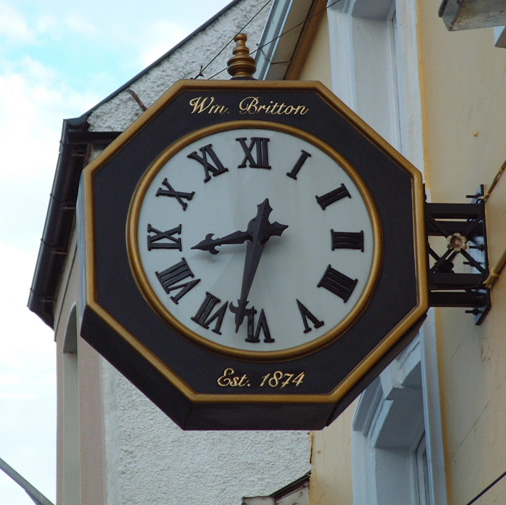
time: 8:32
